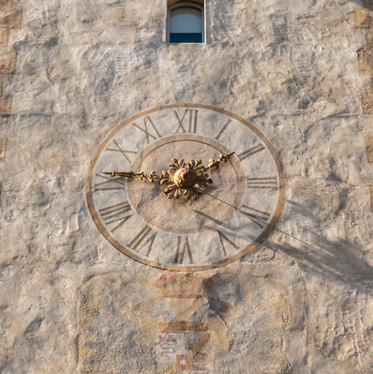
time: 1:46
